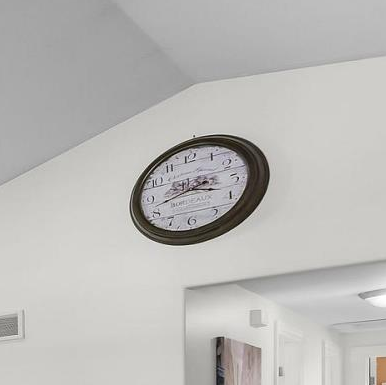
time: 3:42
